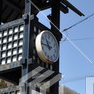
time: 10:45
